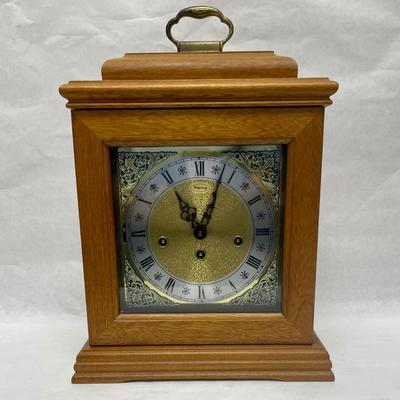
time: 11:03
